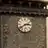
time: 2:39
